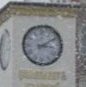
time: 3:09
